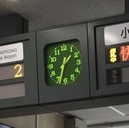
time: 1:33
